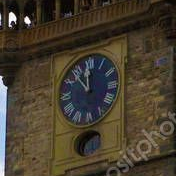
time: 11:53
